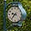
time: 9:37
